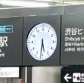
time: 5:31
